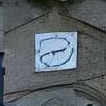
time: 2:42
